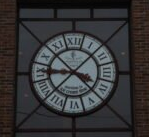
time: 3:45
